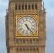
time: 5:23
